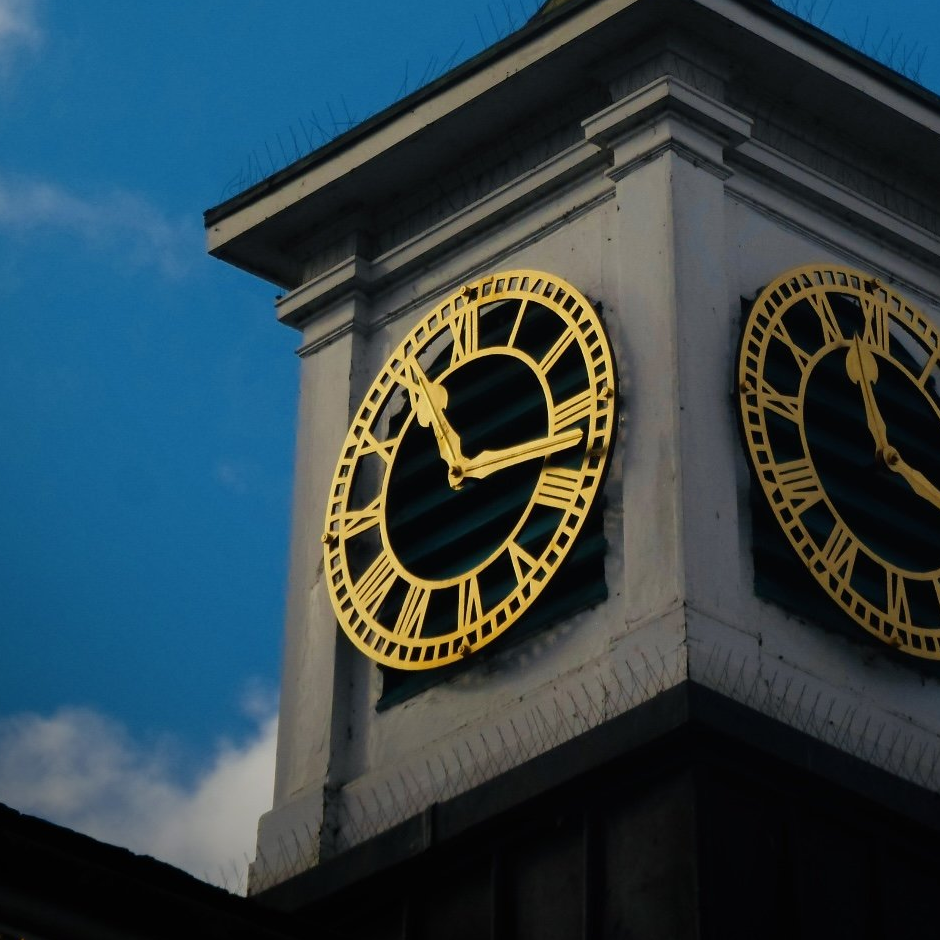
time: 11:16
